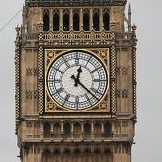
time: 12:22
